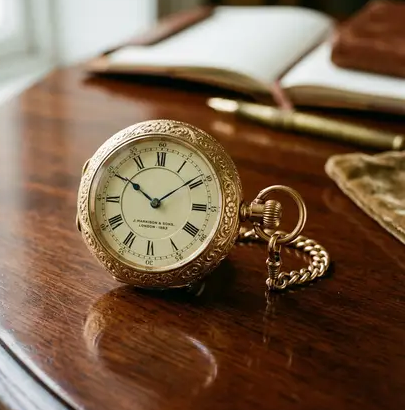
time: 1:50
